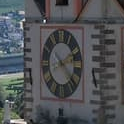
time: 2:21
